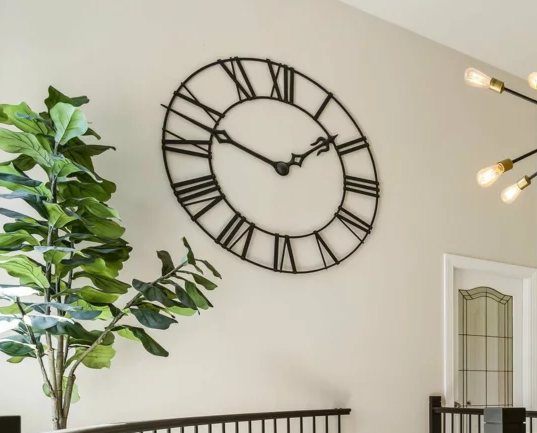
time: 1:47
